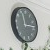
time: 11:13
